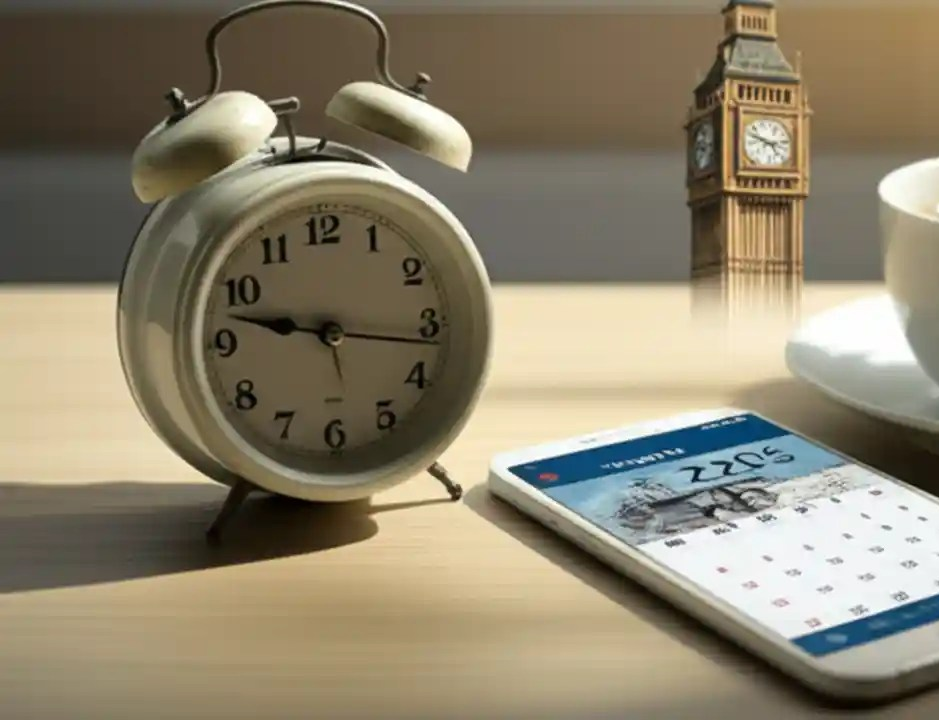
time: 9:16
